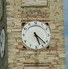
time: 5:22
